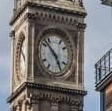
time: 4:52
